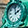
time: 1:59
